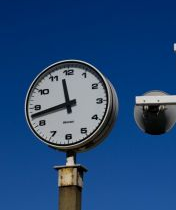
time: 11:42
